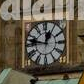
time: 12:47
